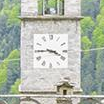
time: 3:44
